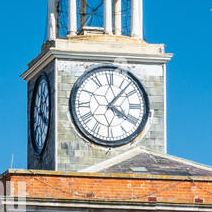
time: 4:07
